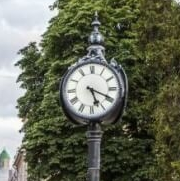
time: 5:19
